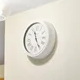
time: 11:25
